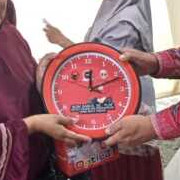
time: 12:11
